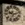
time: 8:12
